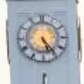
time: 5:23
